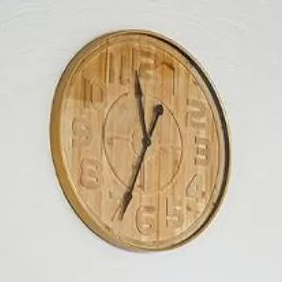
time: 11:34
